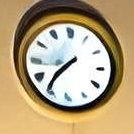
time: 7:36
